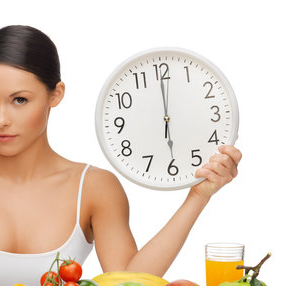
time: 5:59
